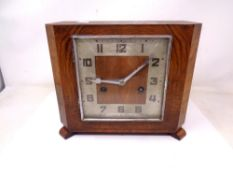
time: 9:08
